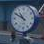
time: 10:50
